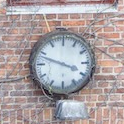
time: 3:48
